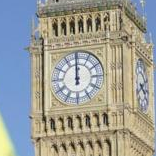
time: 11:59
